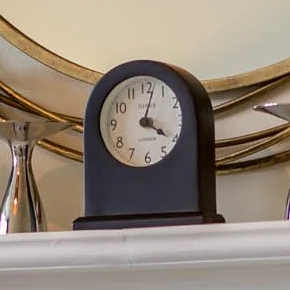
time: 4:02
